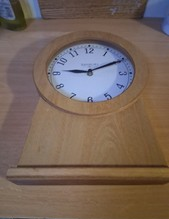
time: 9:10
